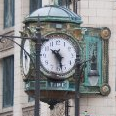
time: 10:28
